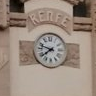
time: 7:47
